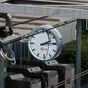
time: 2:14
